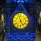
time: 4:57
